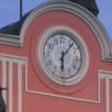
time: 6:06
